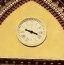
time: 3:48
